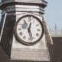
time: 12:27
